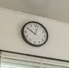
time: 10:02
